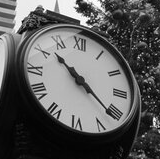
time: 10:21
